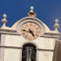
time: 4:46
